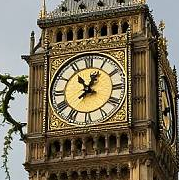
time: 12:54
